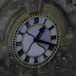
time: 1:18
